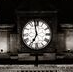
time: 6:58
